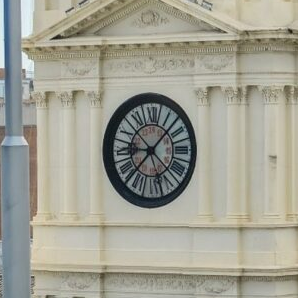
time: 9:07
